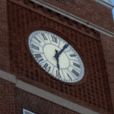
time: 6:05
